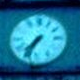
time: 7:35
